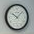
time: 10:07
